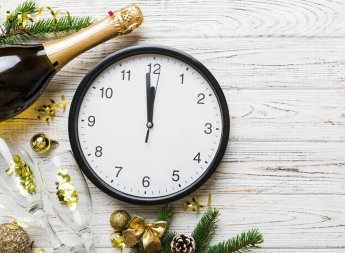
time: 11:58
